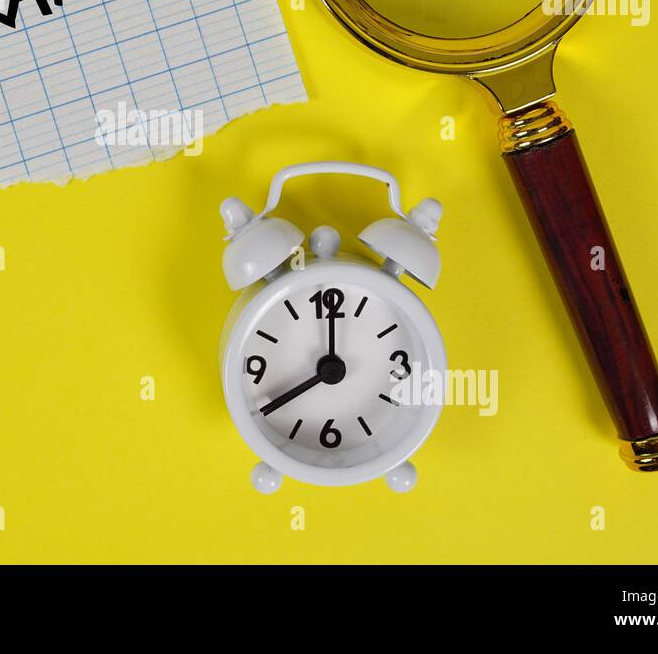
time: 8:00
